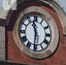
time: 11:31
